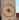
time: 3:37
